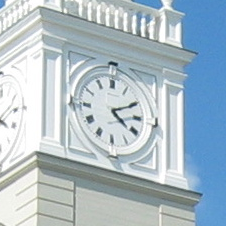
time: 4:10
